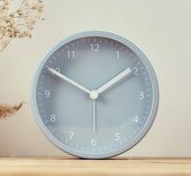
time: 1:50
